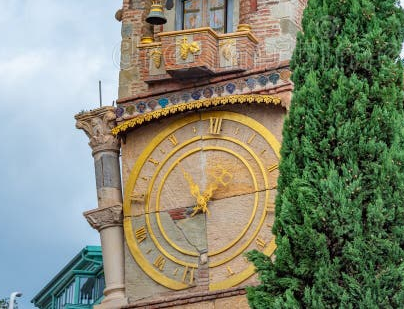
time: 7:54
